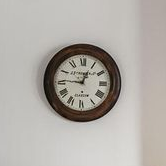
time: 12:45
